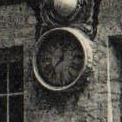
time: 12:37
